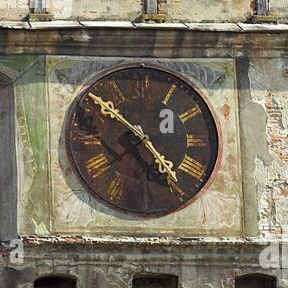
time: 4:51
